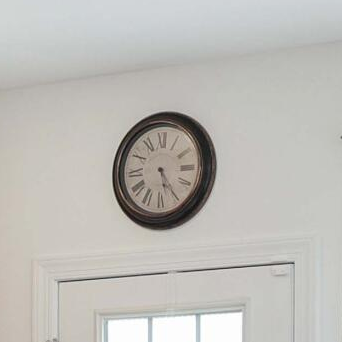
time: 5:24
